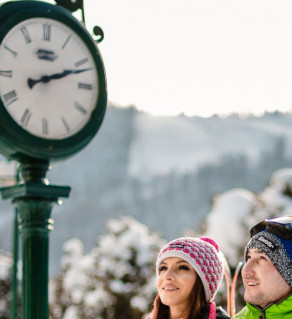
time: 2:11
